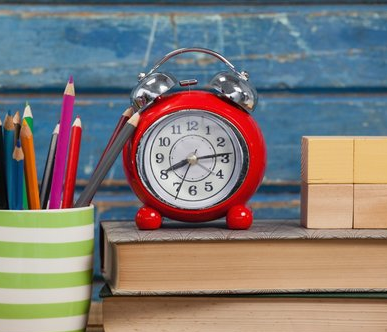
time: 8:13
